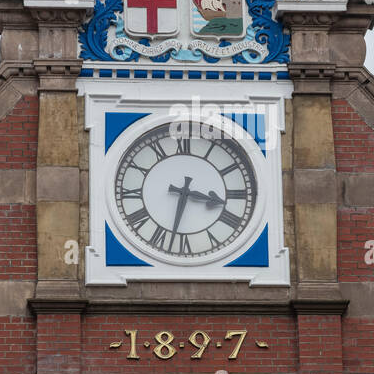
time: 3:32
